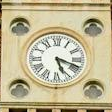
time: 5:18
